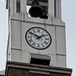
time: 1:50
